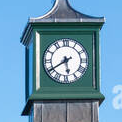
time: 5:40
